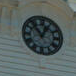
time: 12:53
